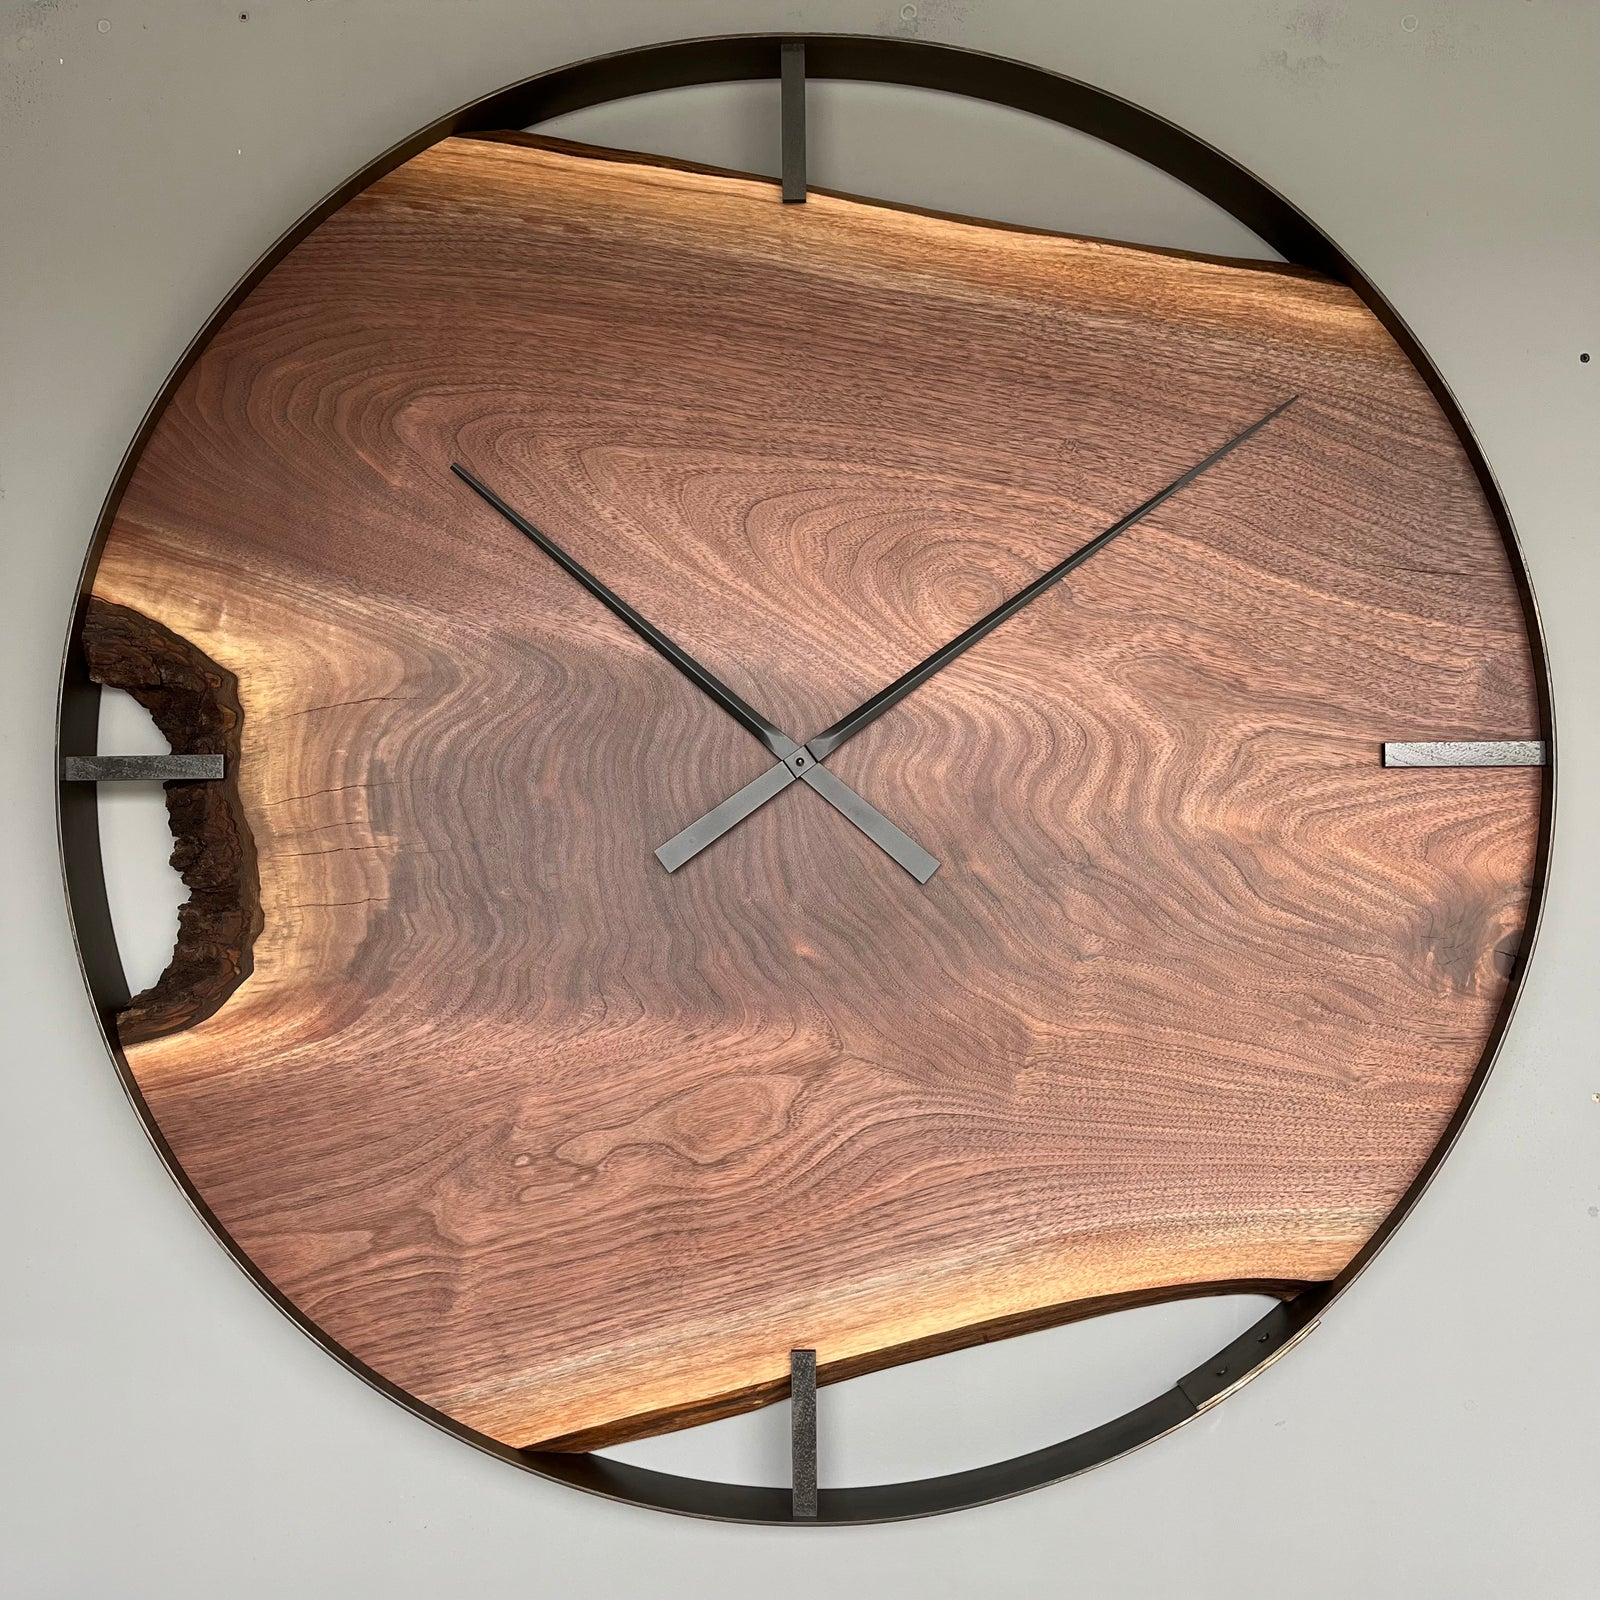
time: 10:07
